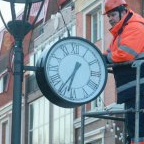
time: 6:35
